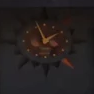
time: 1:56
